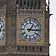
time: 1:16
